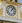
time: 1:06
